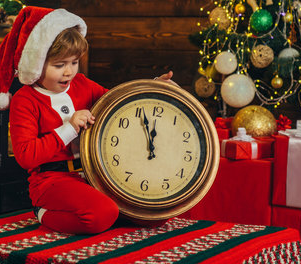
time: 11:56
